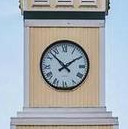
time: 1:52
